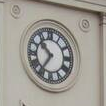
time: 10:36
